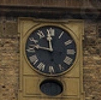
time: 11:47
